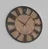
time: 10:06
